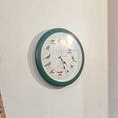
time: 4:26
